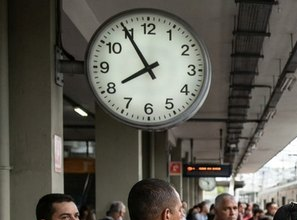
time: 7:54
